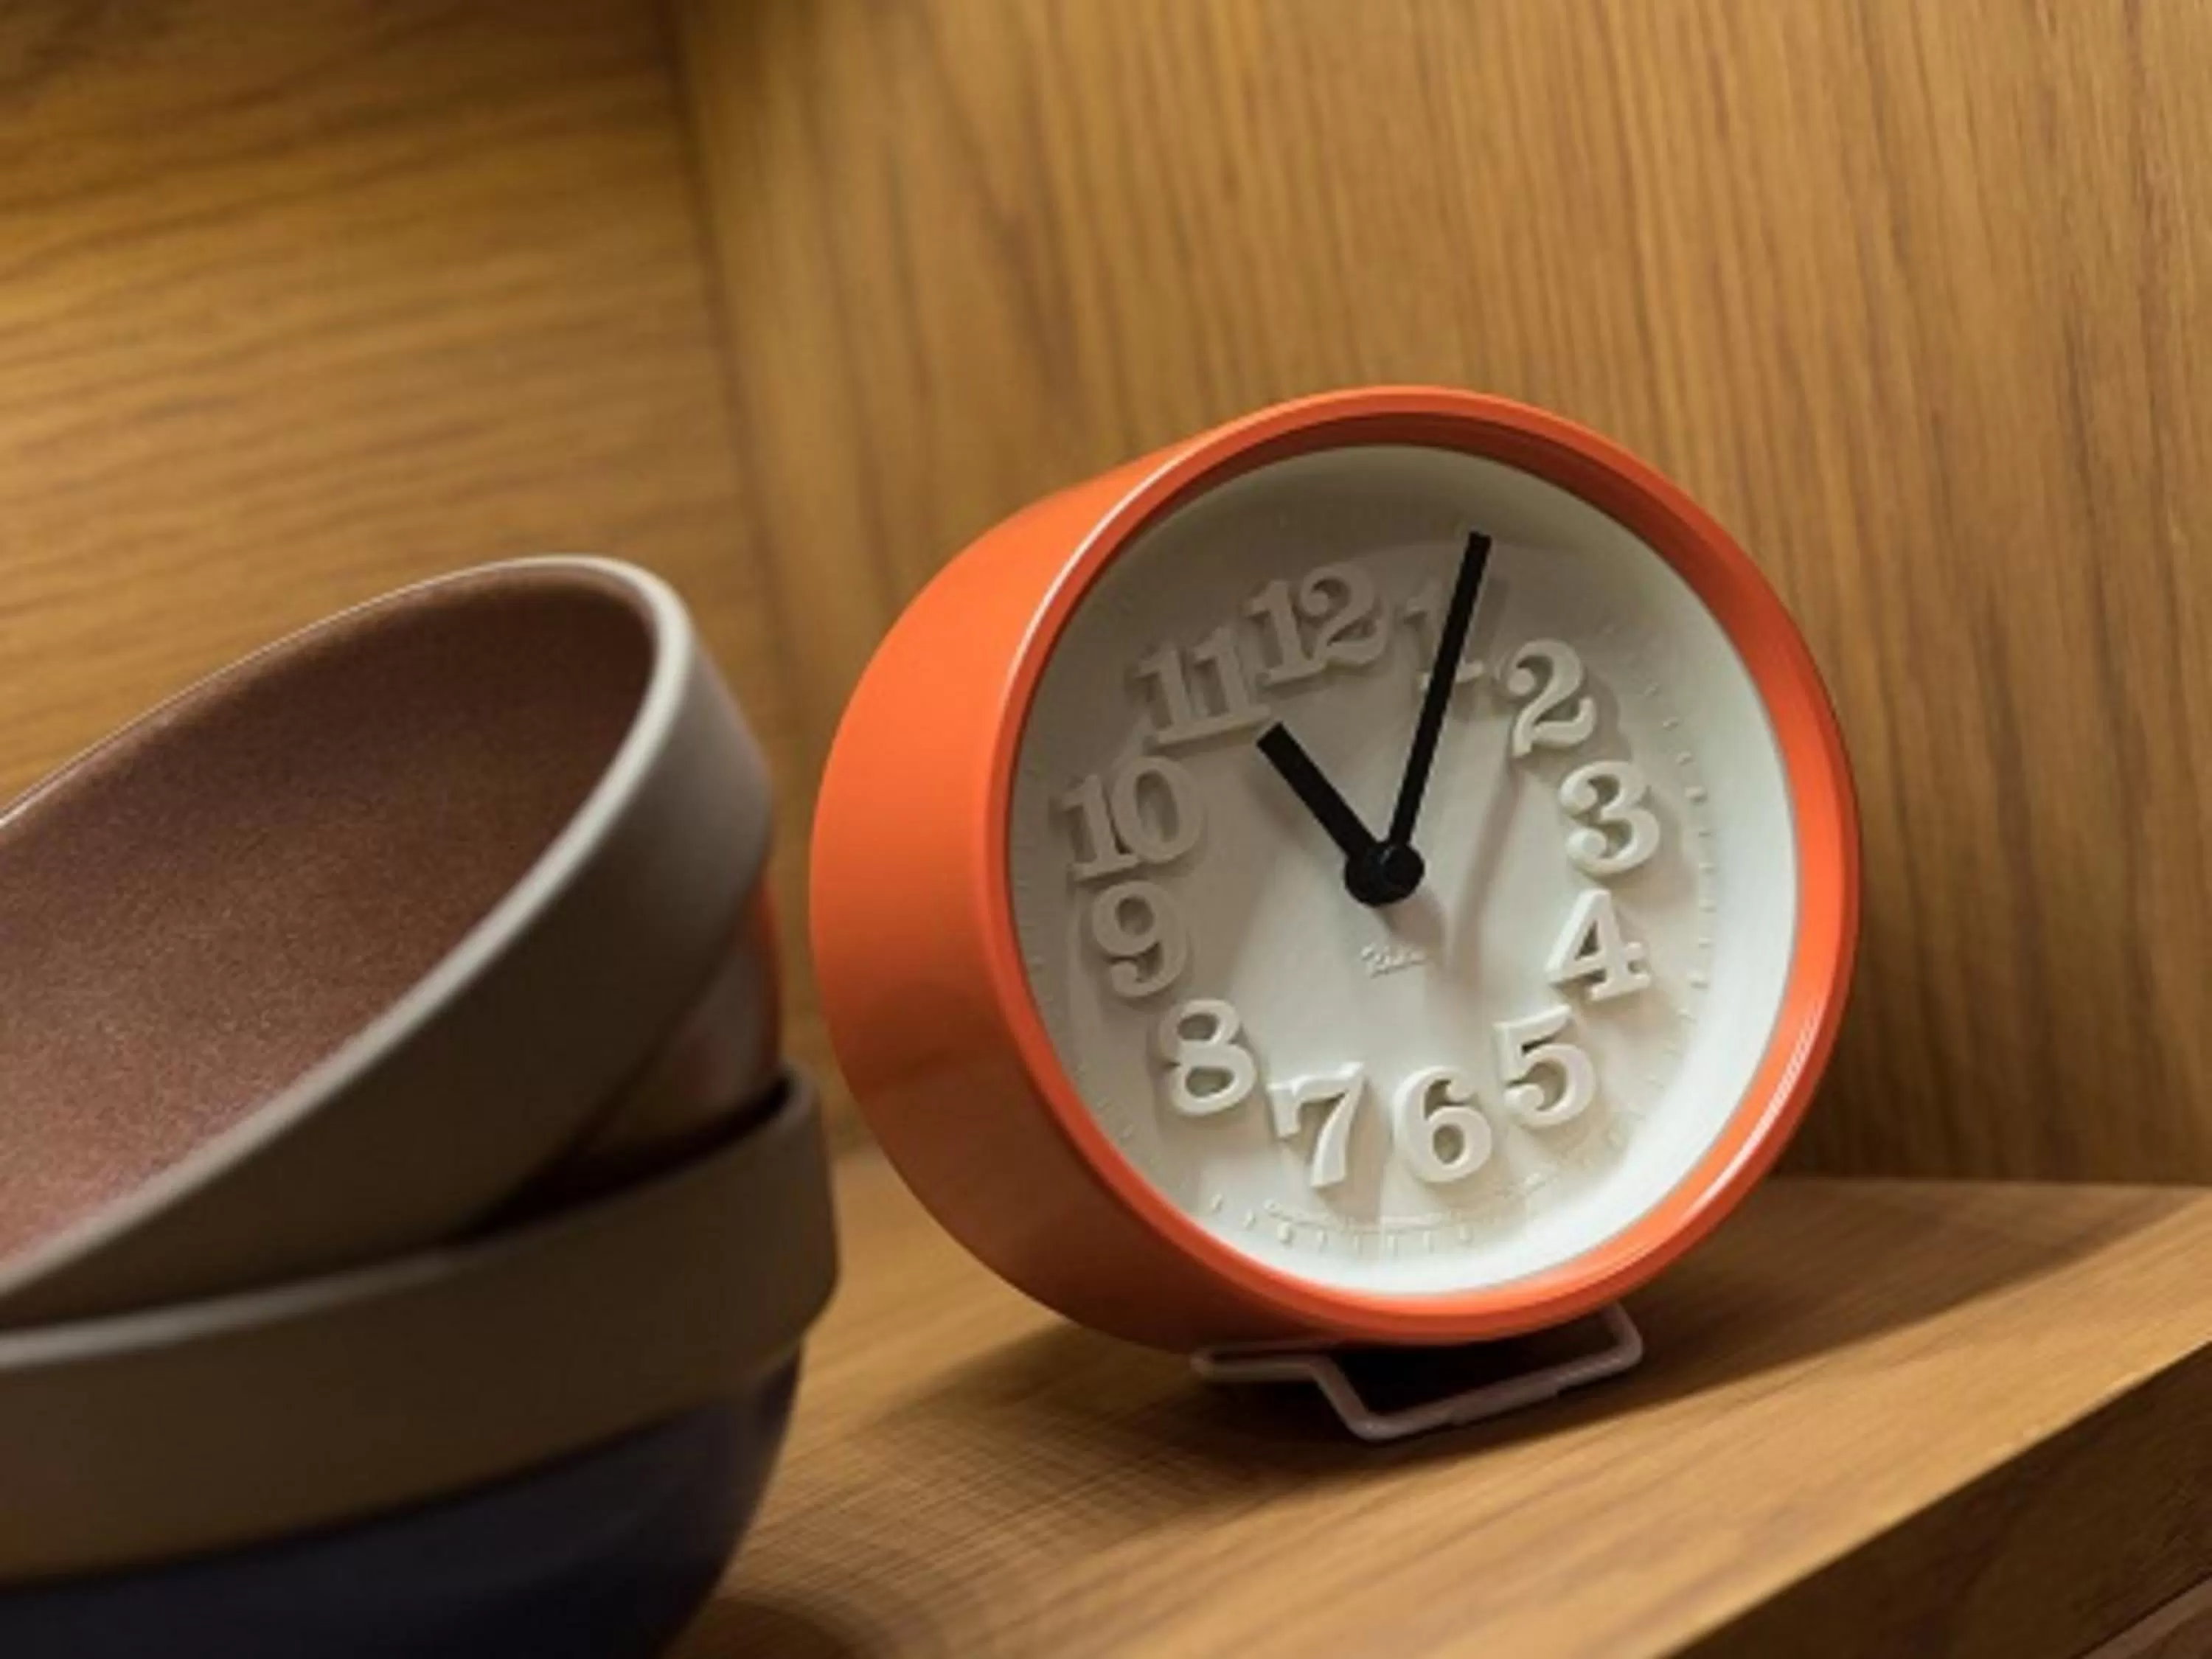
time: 11:05
